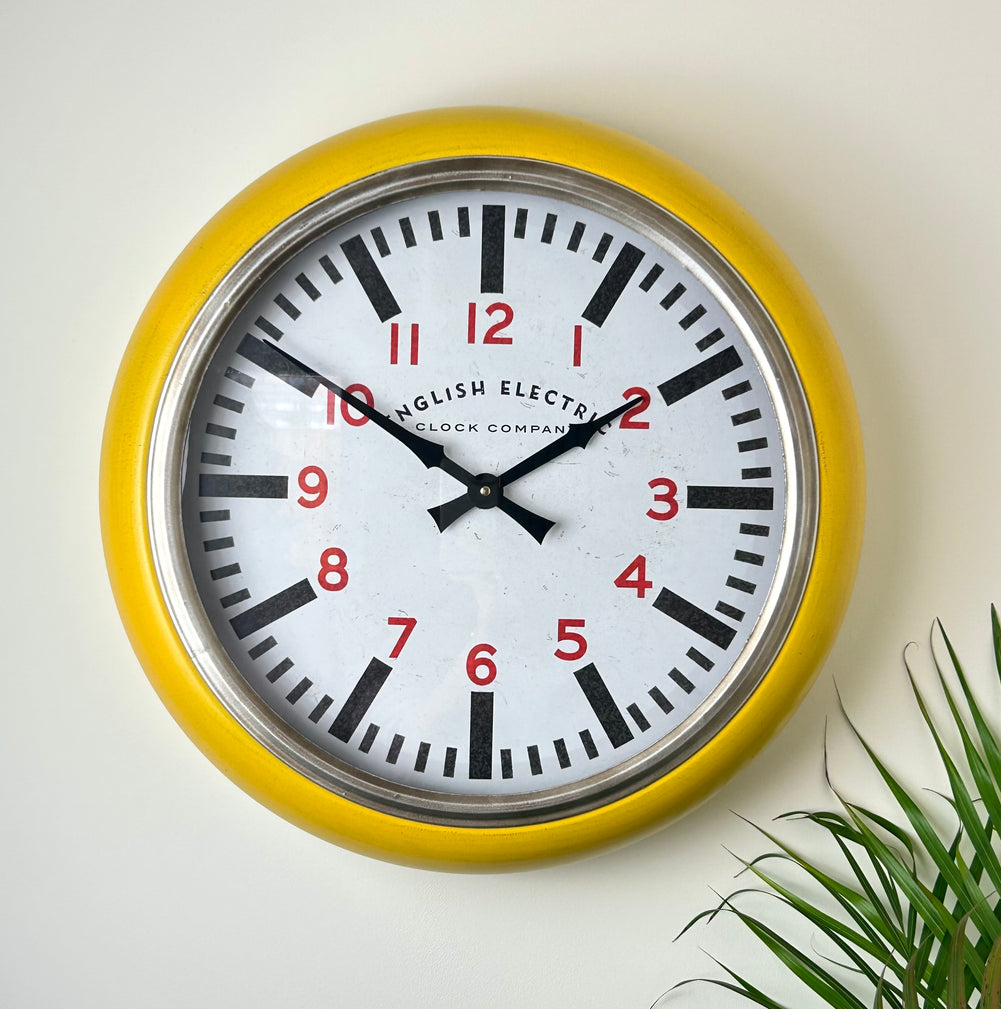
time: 1:50
